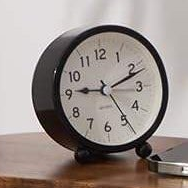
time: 9:11
